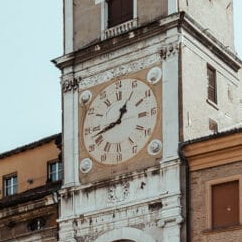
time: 12:42
